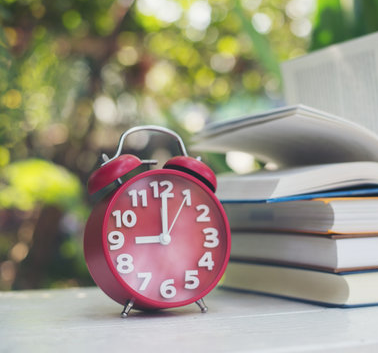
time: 9:00
